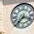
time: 7:18
